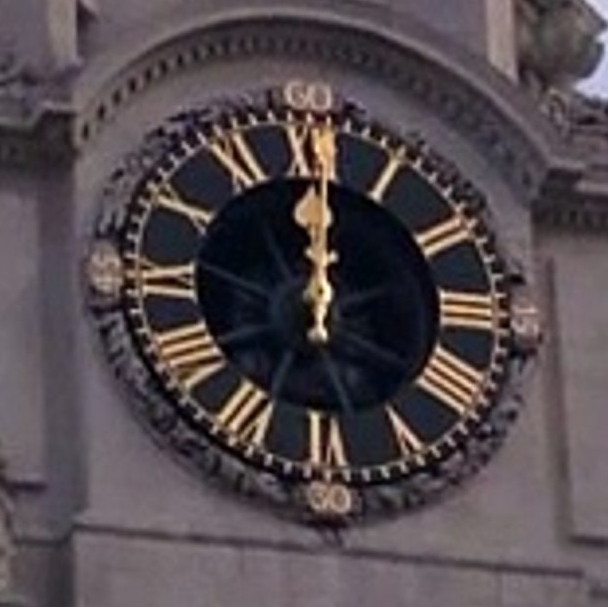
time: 12:00
